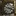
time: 3:48
